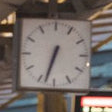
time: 6:32
